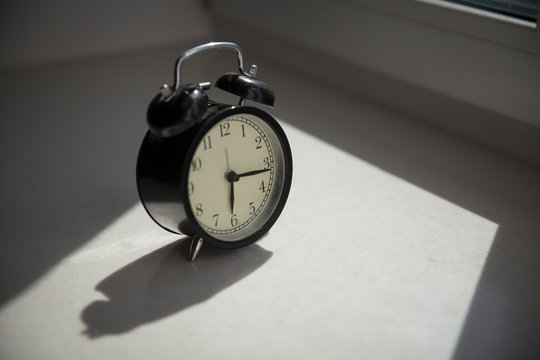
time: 6:16
